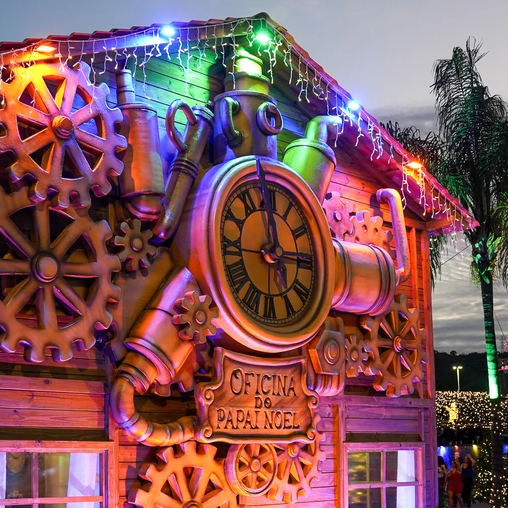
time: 12:14
